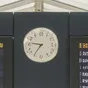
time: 9:35
